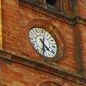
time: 4:31
